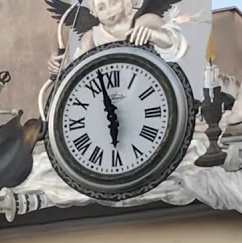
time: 5:57
